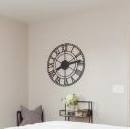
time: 8:12
